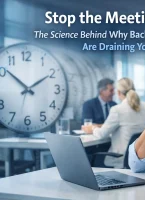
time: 1:51
